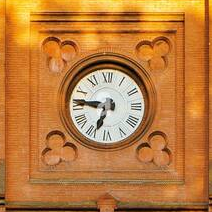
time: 6:46
